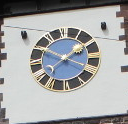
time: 1:50
